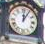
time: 12:05
